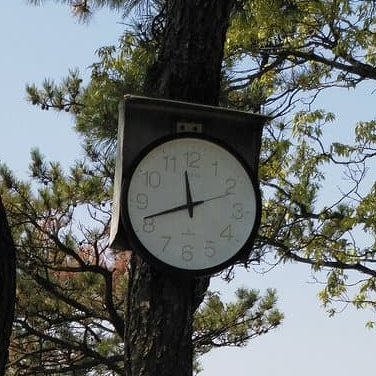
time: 11:41
